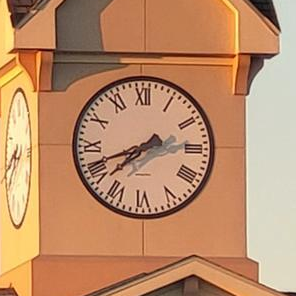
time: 7:41
